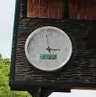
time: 2:58
